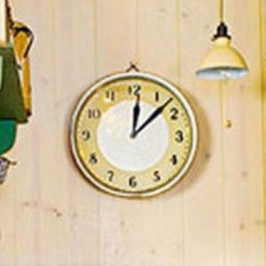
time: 12:07
